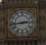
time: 2:43
